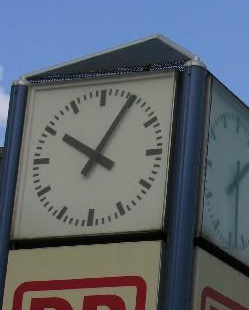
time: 10:04
